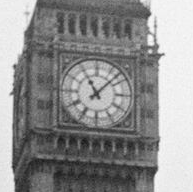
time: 11:07
